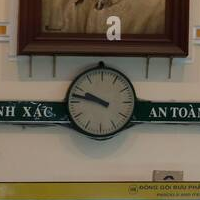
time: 9:47
